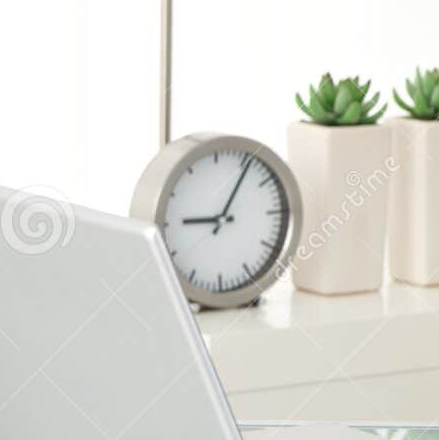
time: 9:05
